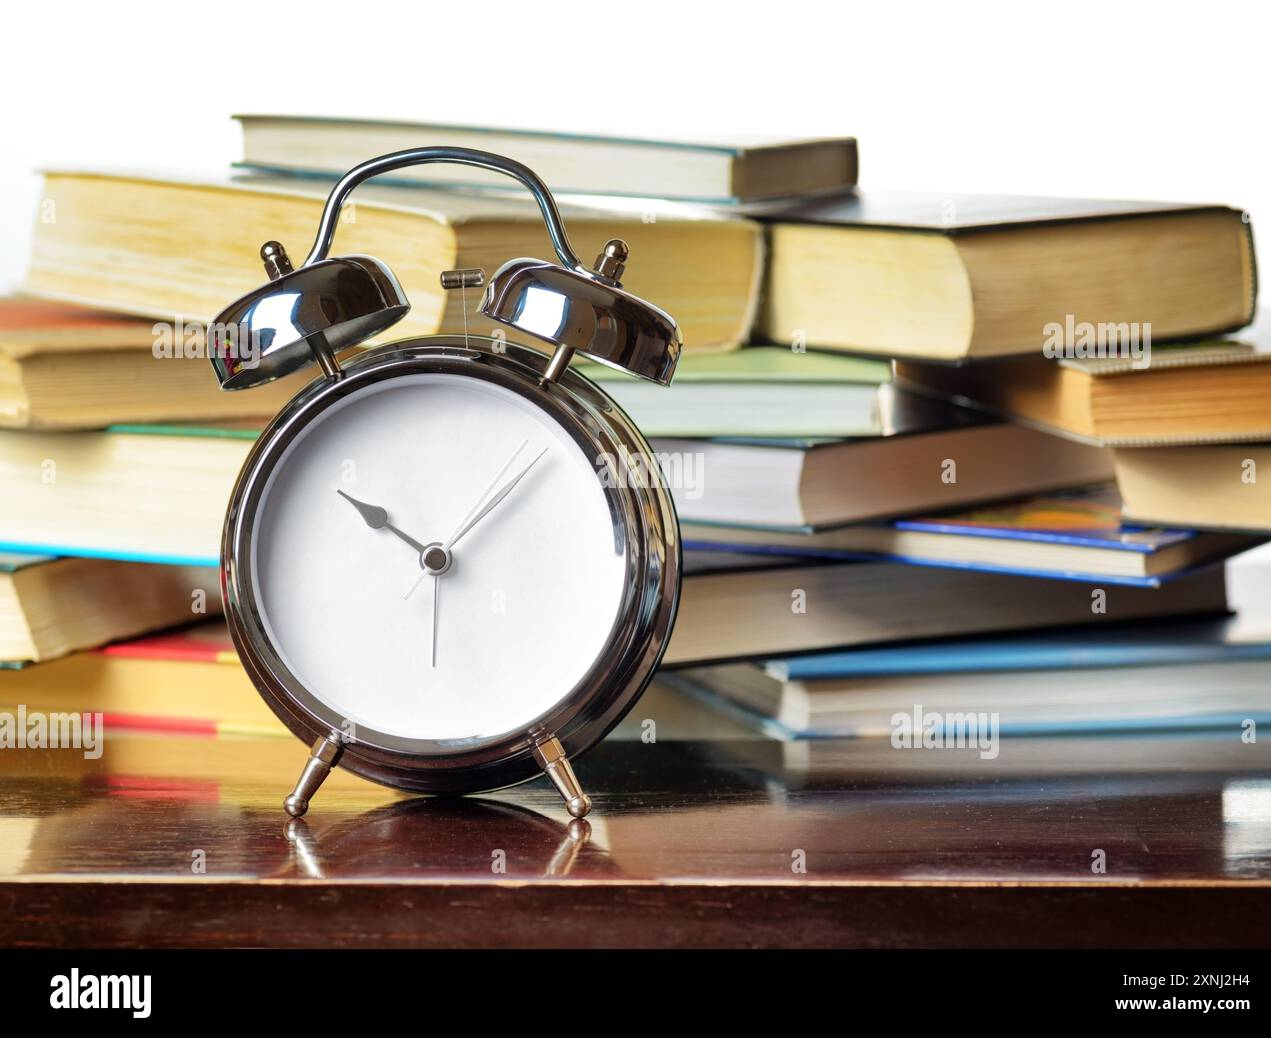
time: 10:07
